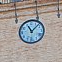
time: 11:07
